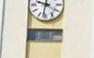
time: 9:32
